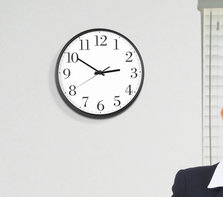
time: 2:50
